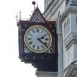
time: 2:21
